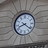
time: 8:21
